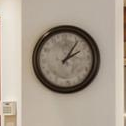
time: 2:06
